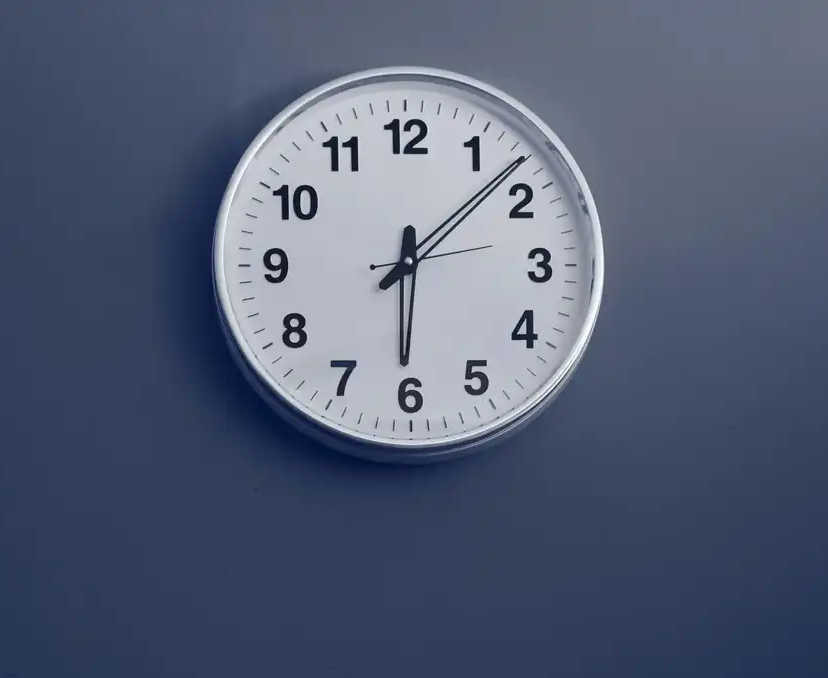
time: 6:07
